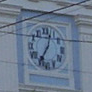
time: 7:03
